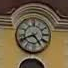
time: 4:41
